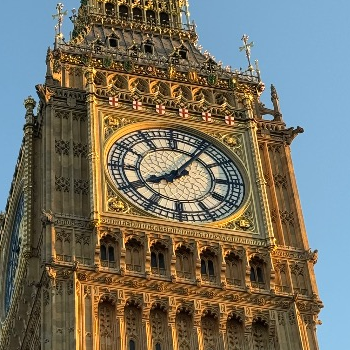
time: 8:06
